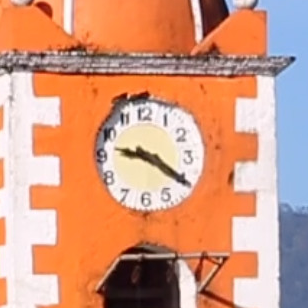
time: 9:20
